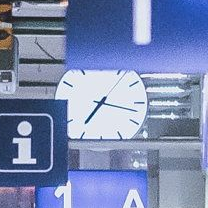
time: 7:17
